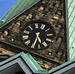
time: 5:33
